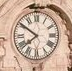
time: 7:50
